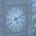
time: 5:11
